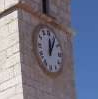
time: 12:05
